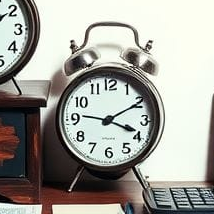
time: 3:46
